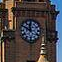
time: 11:49
